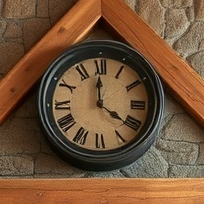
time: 3:59
